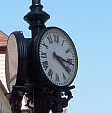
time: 4:16
